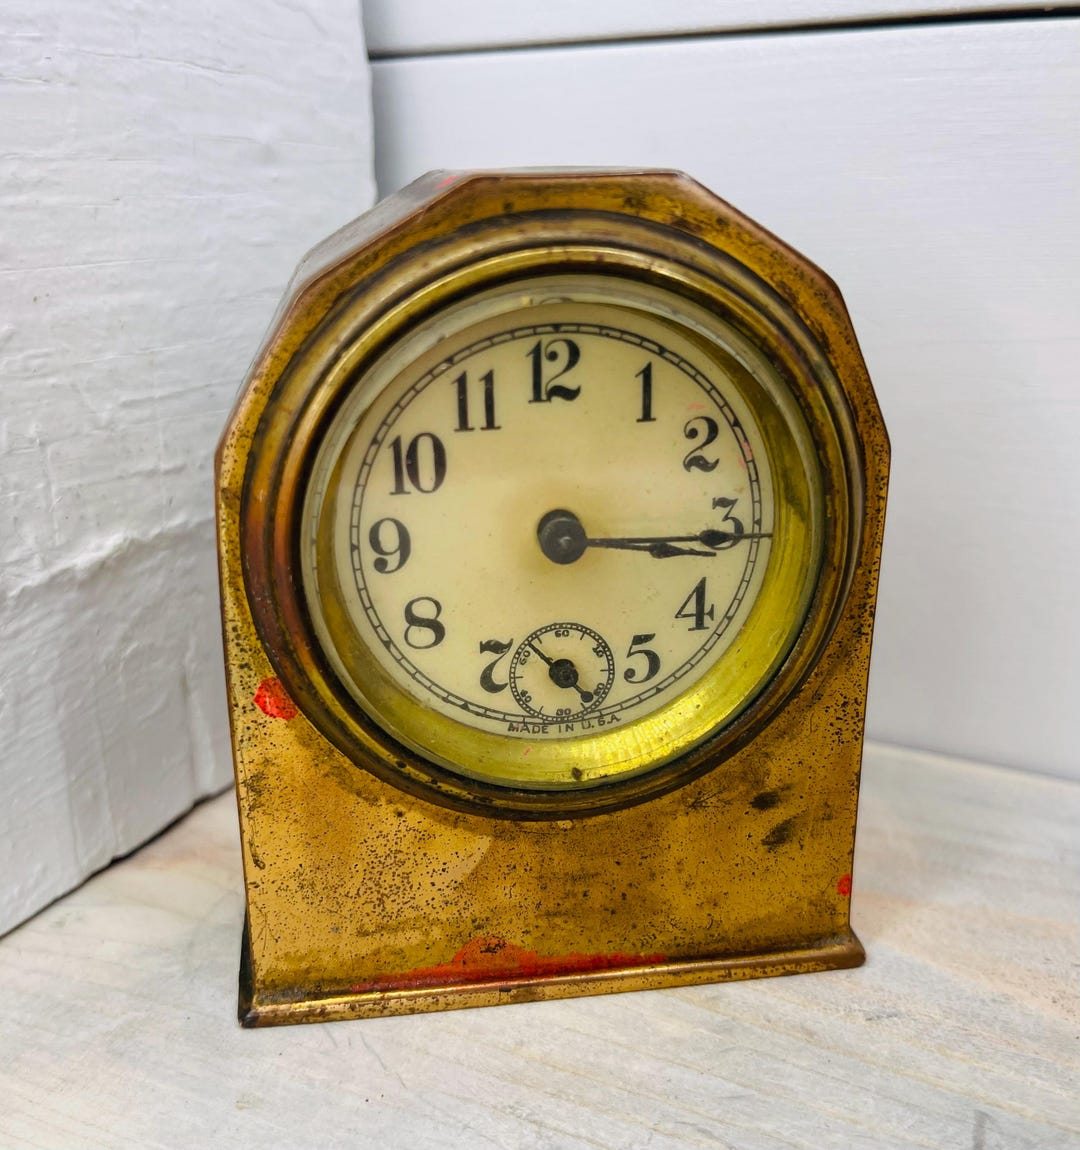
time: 3:15
